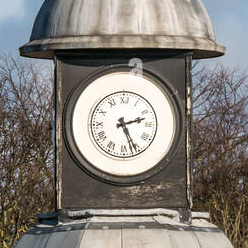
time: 2:26
